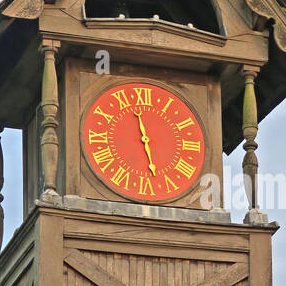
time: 11:27
